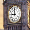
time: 8:59
